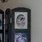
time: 2:23
